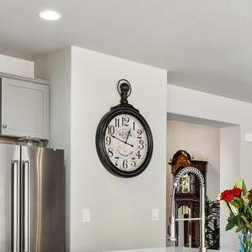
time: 12:47
